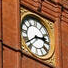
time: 2:38
